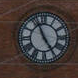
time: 4:56
